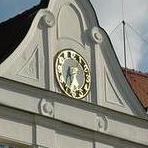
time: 5:33
